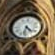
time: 4:31
